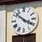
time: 3:52
